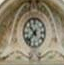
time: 10:37
